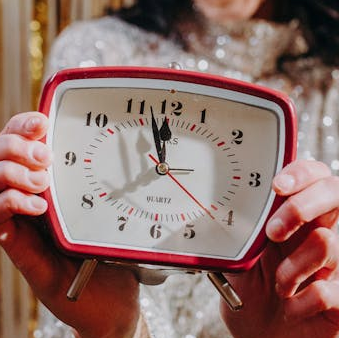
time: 11:57
